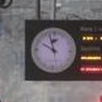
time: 9:57
